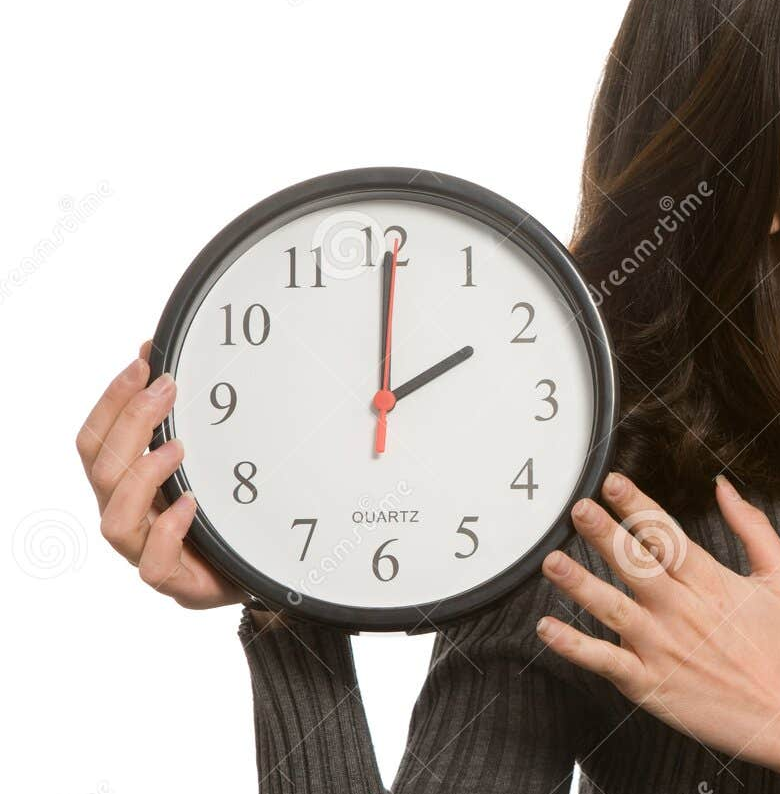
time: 2:00
